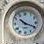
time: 10:18
